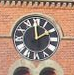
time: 1:59
